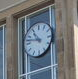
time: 10:47
